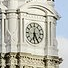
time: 6:25
